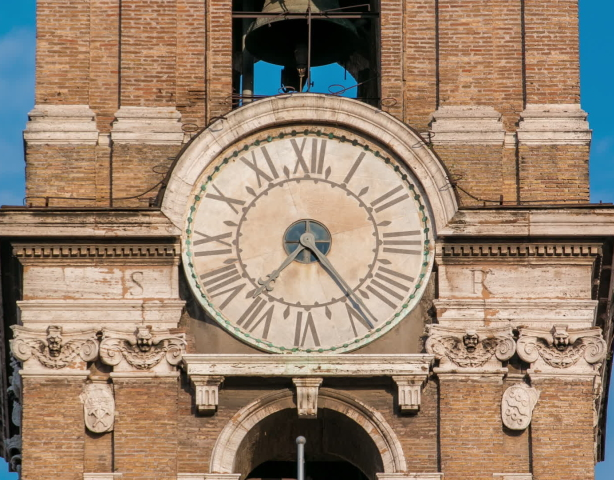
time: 7:24
